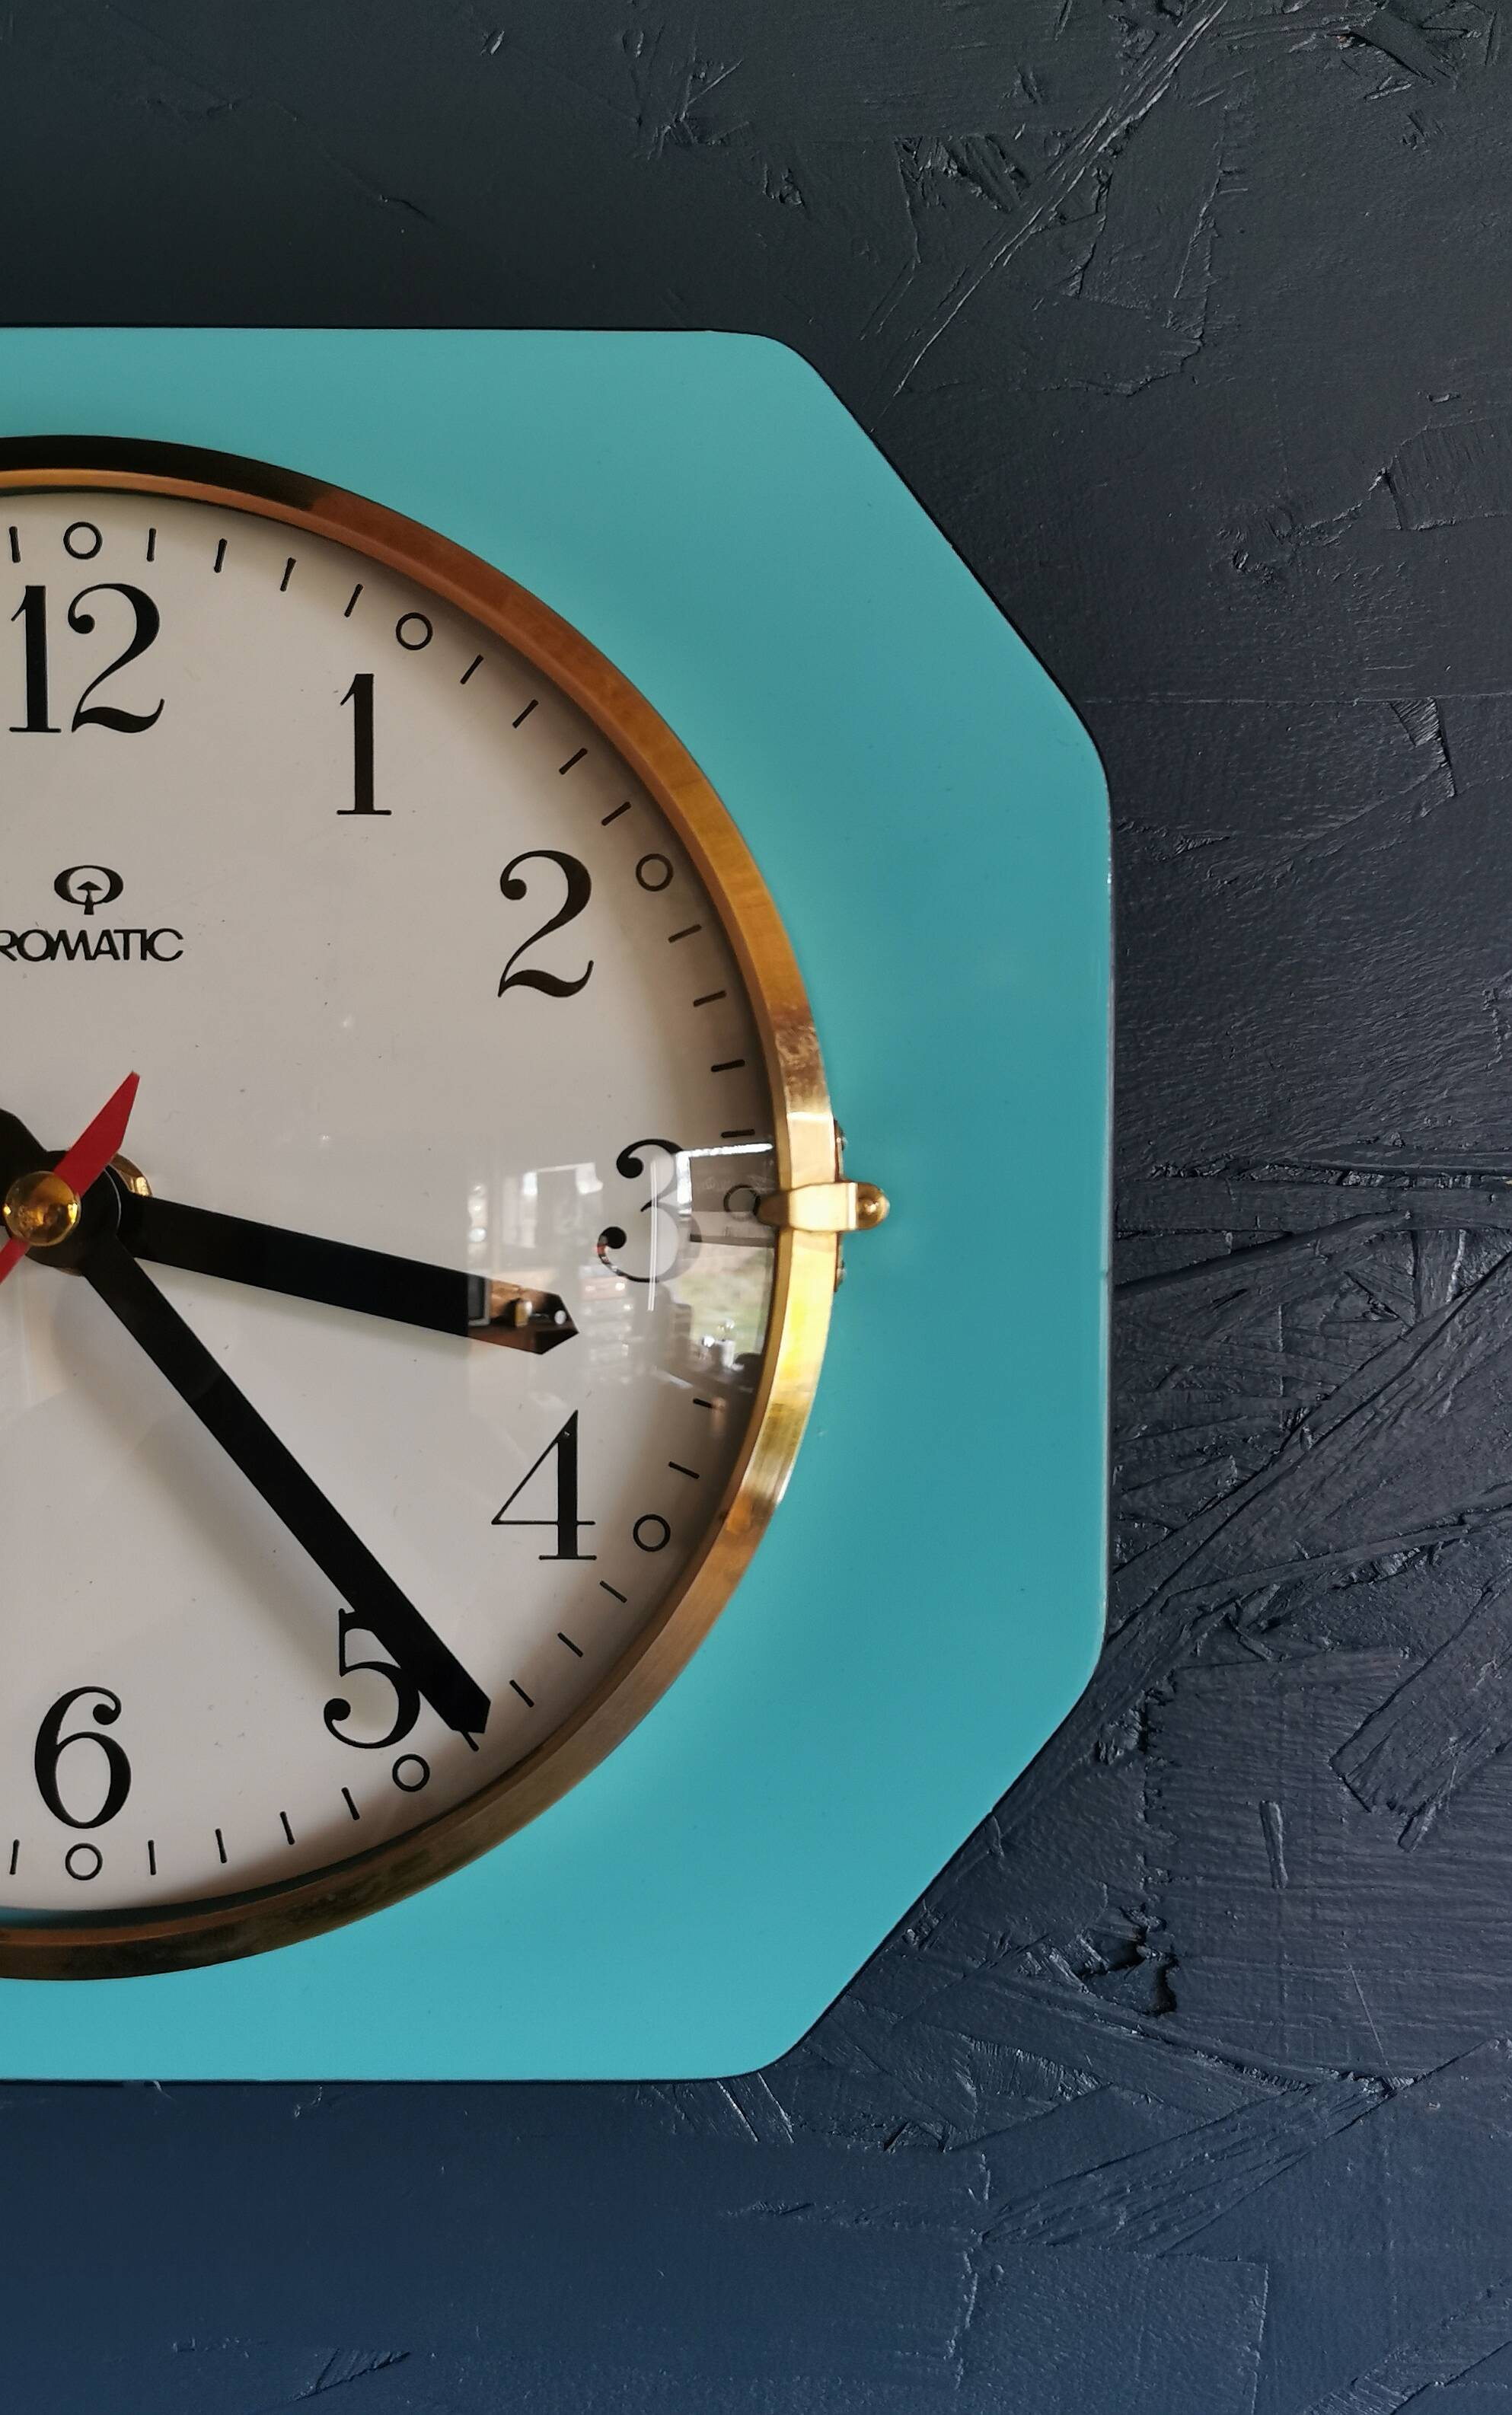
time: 3:23
